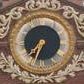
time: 7:33
